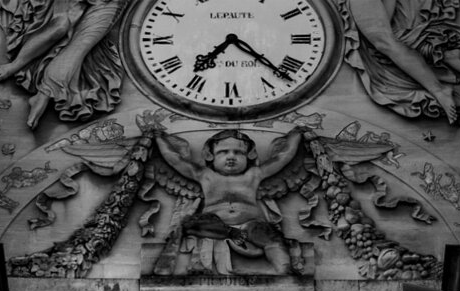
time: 7:22
